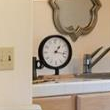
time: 1:16
